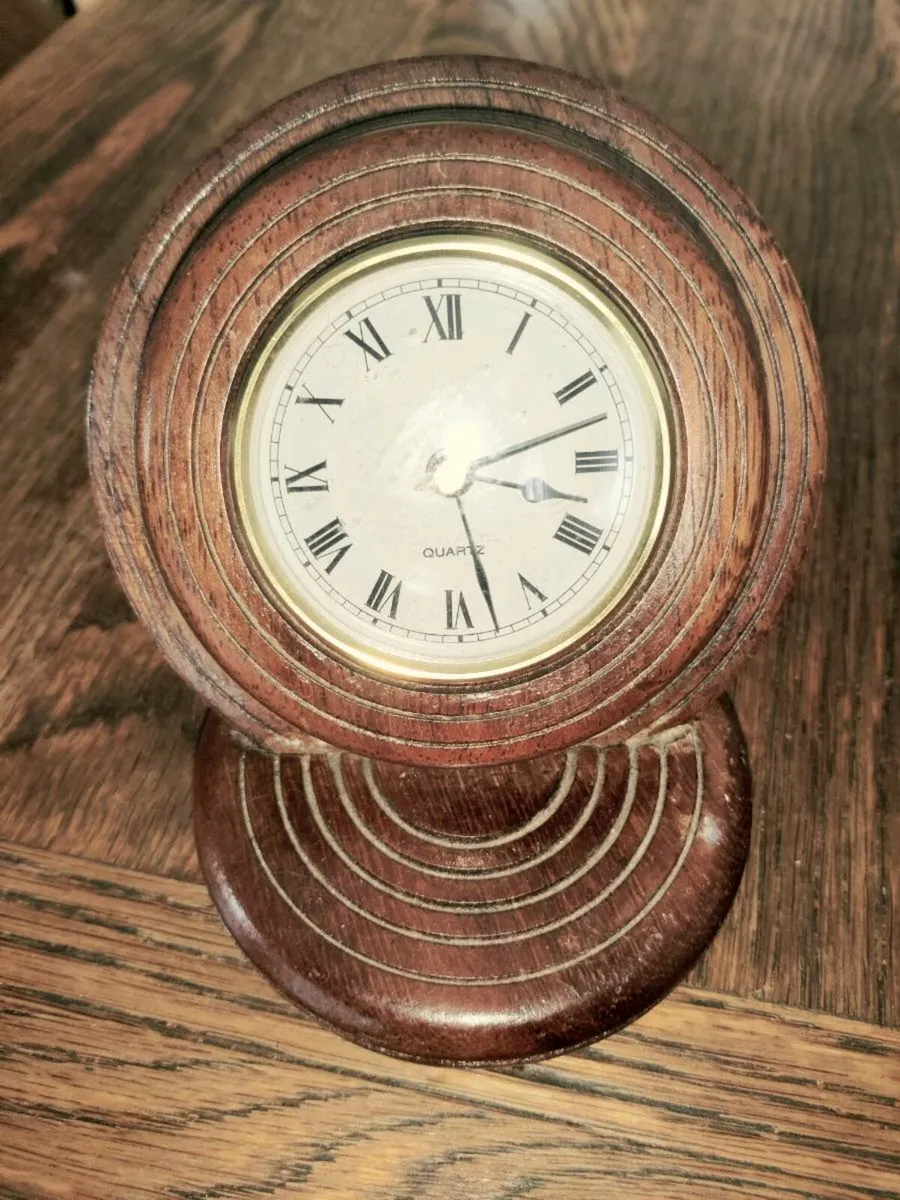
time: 2:27
